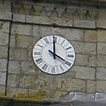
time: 3:59
